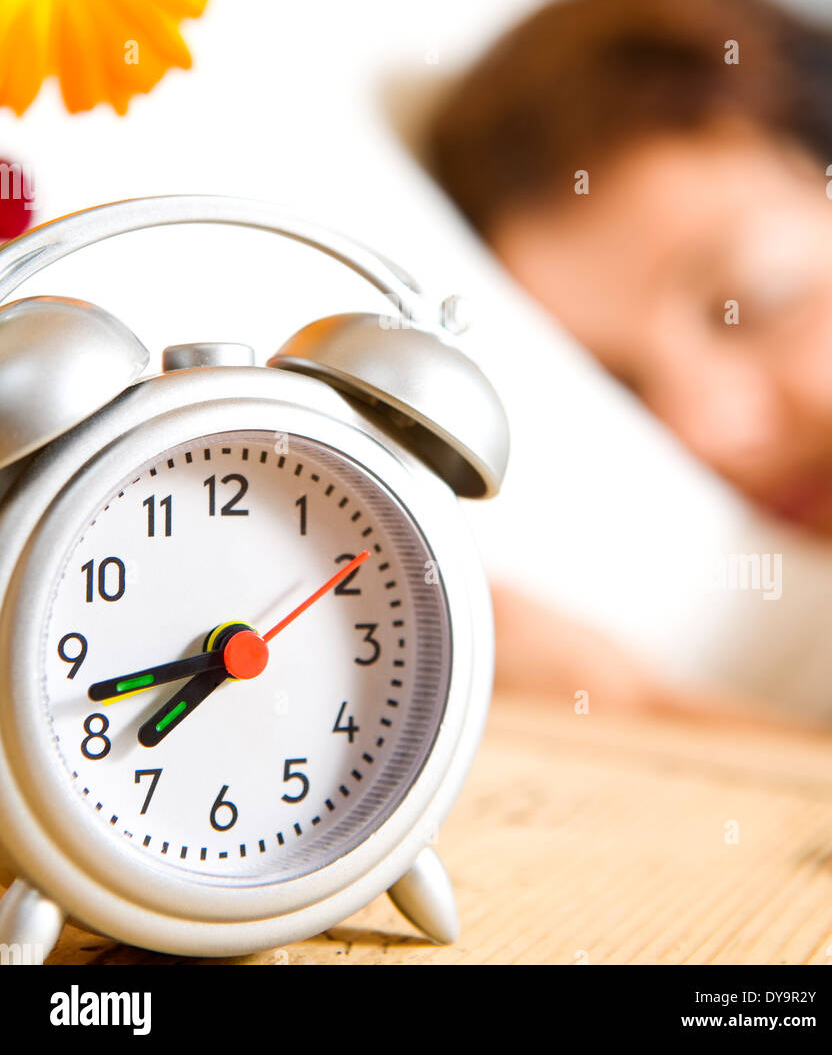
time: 7:42
